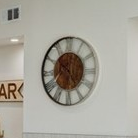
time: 10:24
